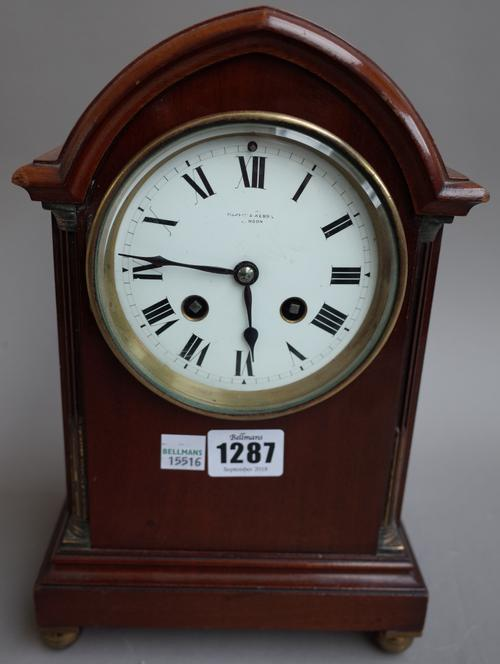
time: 5:46
